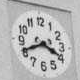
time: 3:40
